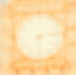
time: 6:13
